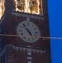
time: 4:53
